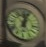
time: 12:03
